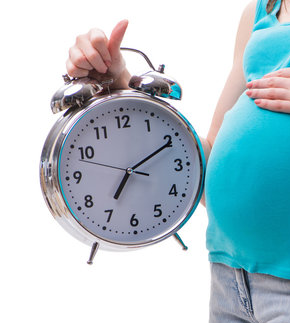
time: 7:10
